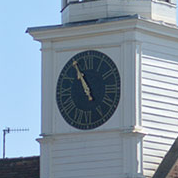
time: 10:54
